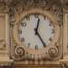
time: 12:24
